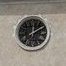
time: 12:09
